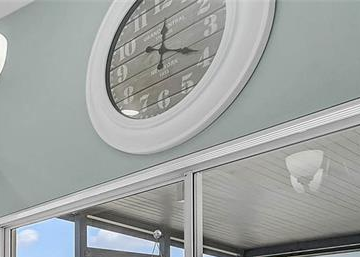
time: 12:19
